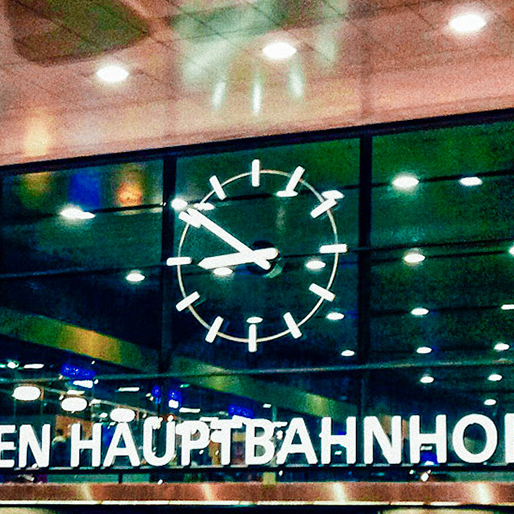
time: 8:51
